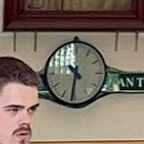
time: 10:31
